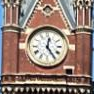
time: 12:24
